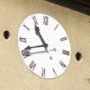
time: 10:41
